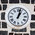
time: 1:02
